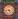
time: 4:44
